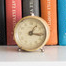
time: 1:16
